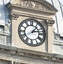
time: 1:12
